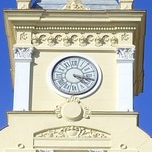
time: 4:17
